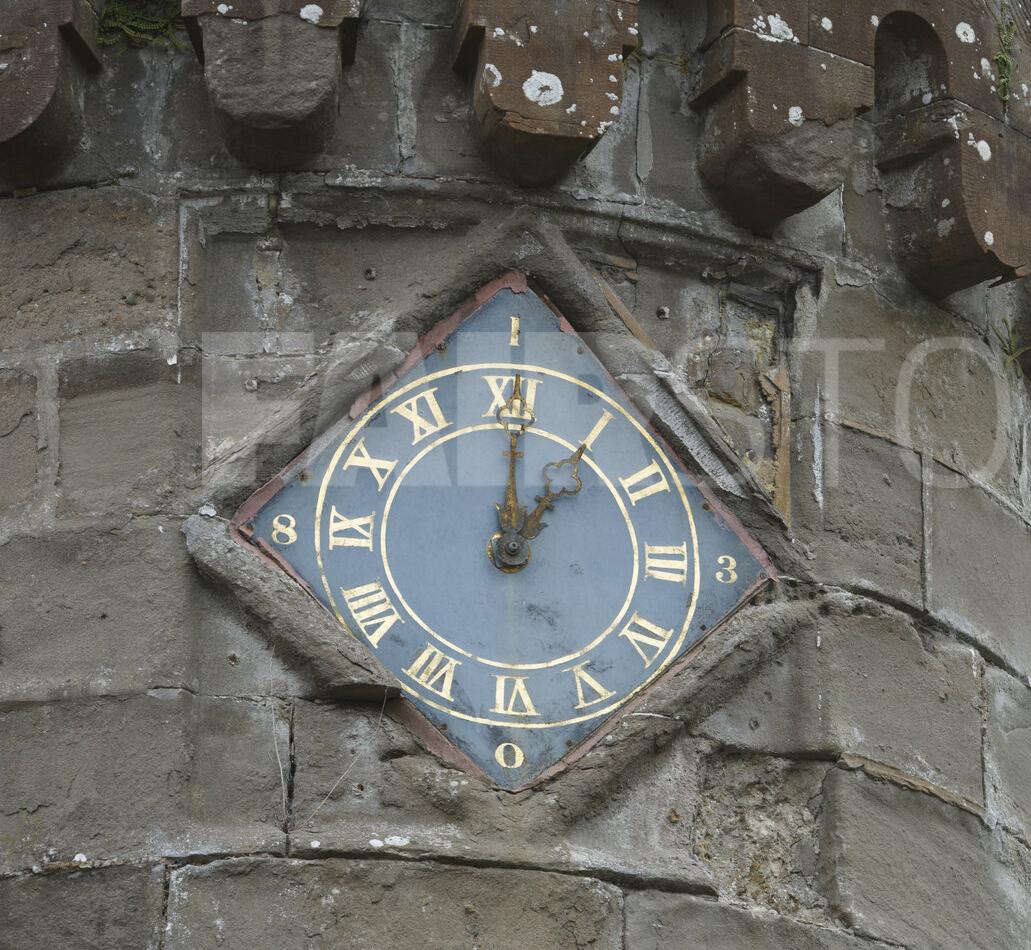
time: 1:00
